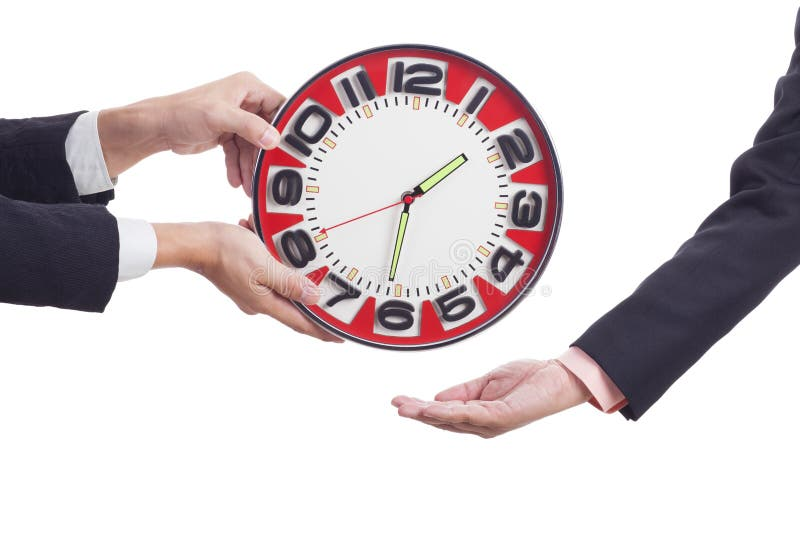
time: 1:31
